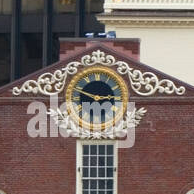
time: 2:48
